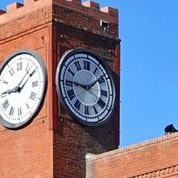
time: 9:08
